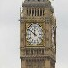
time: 11:50
